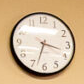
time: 3:33
